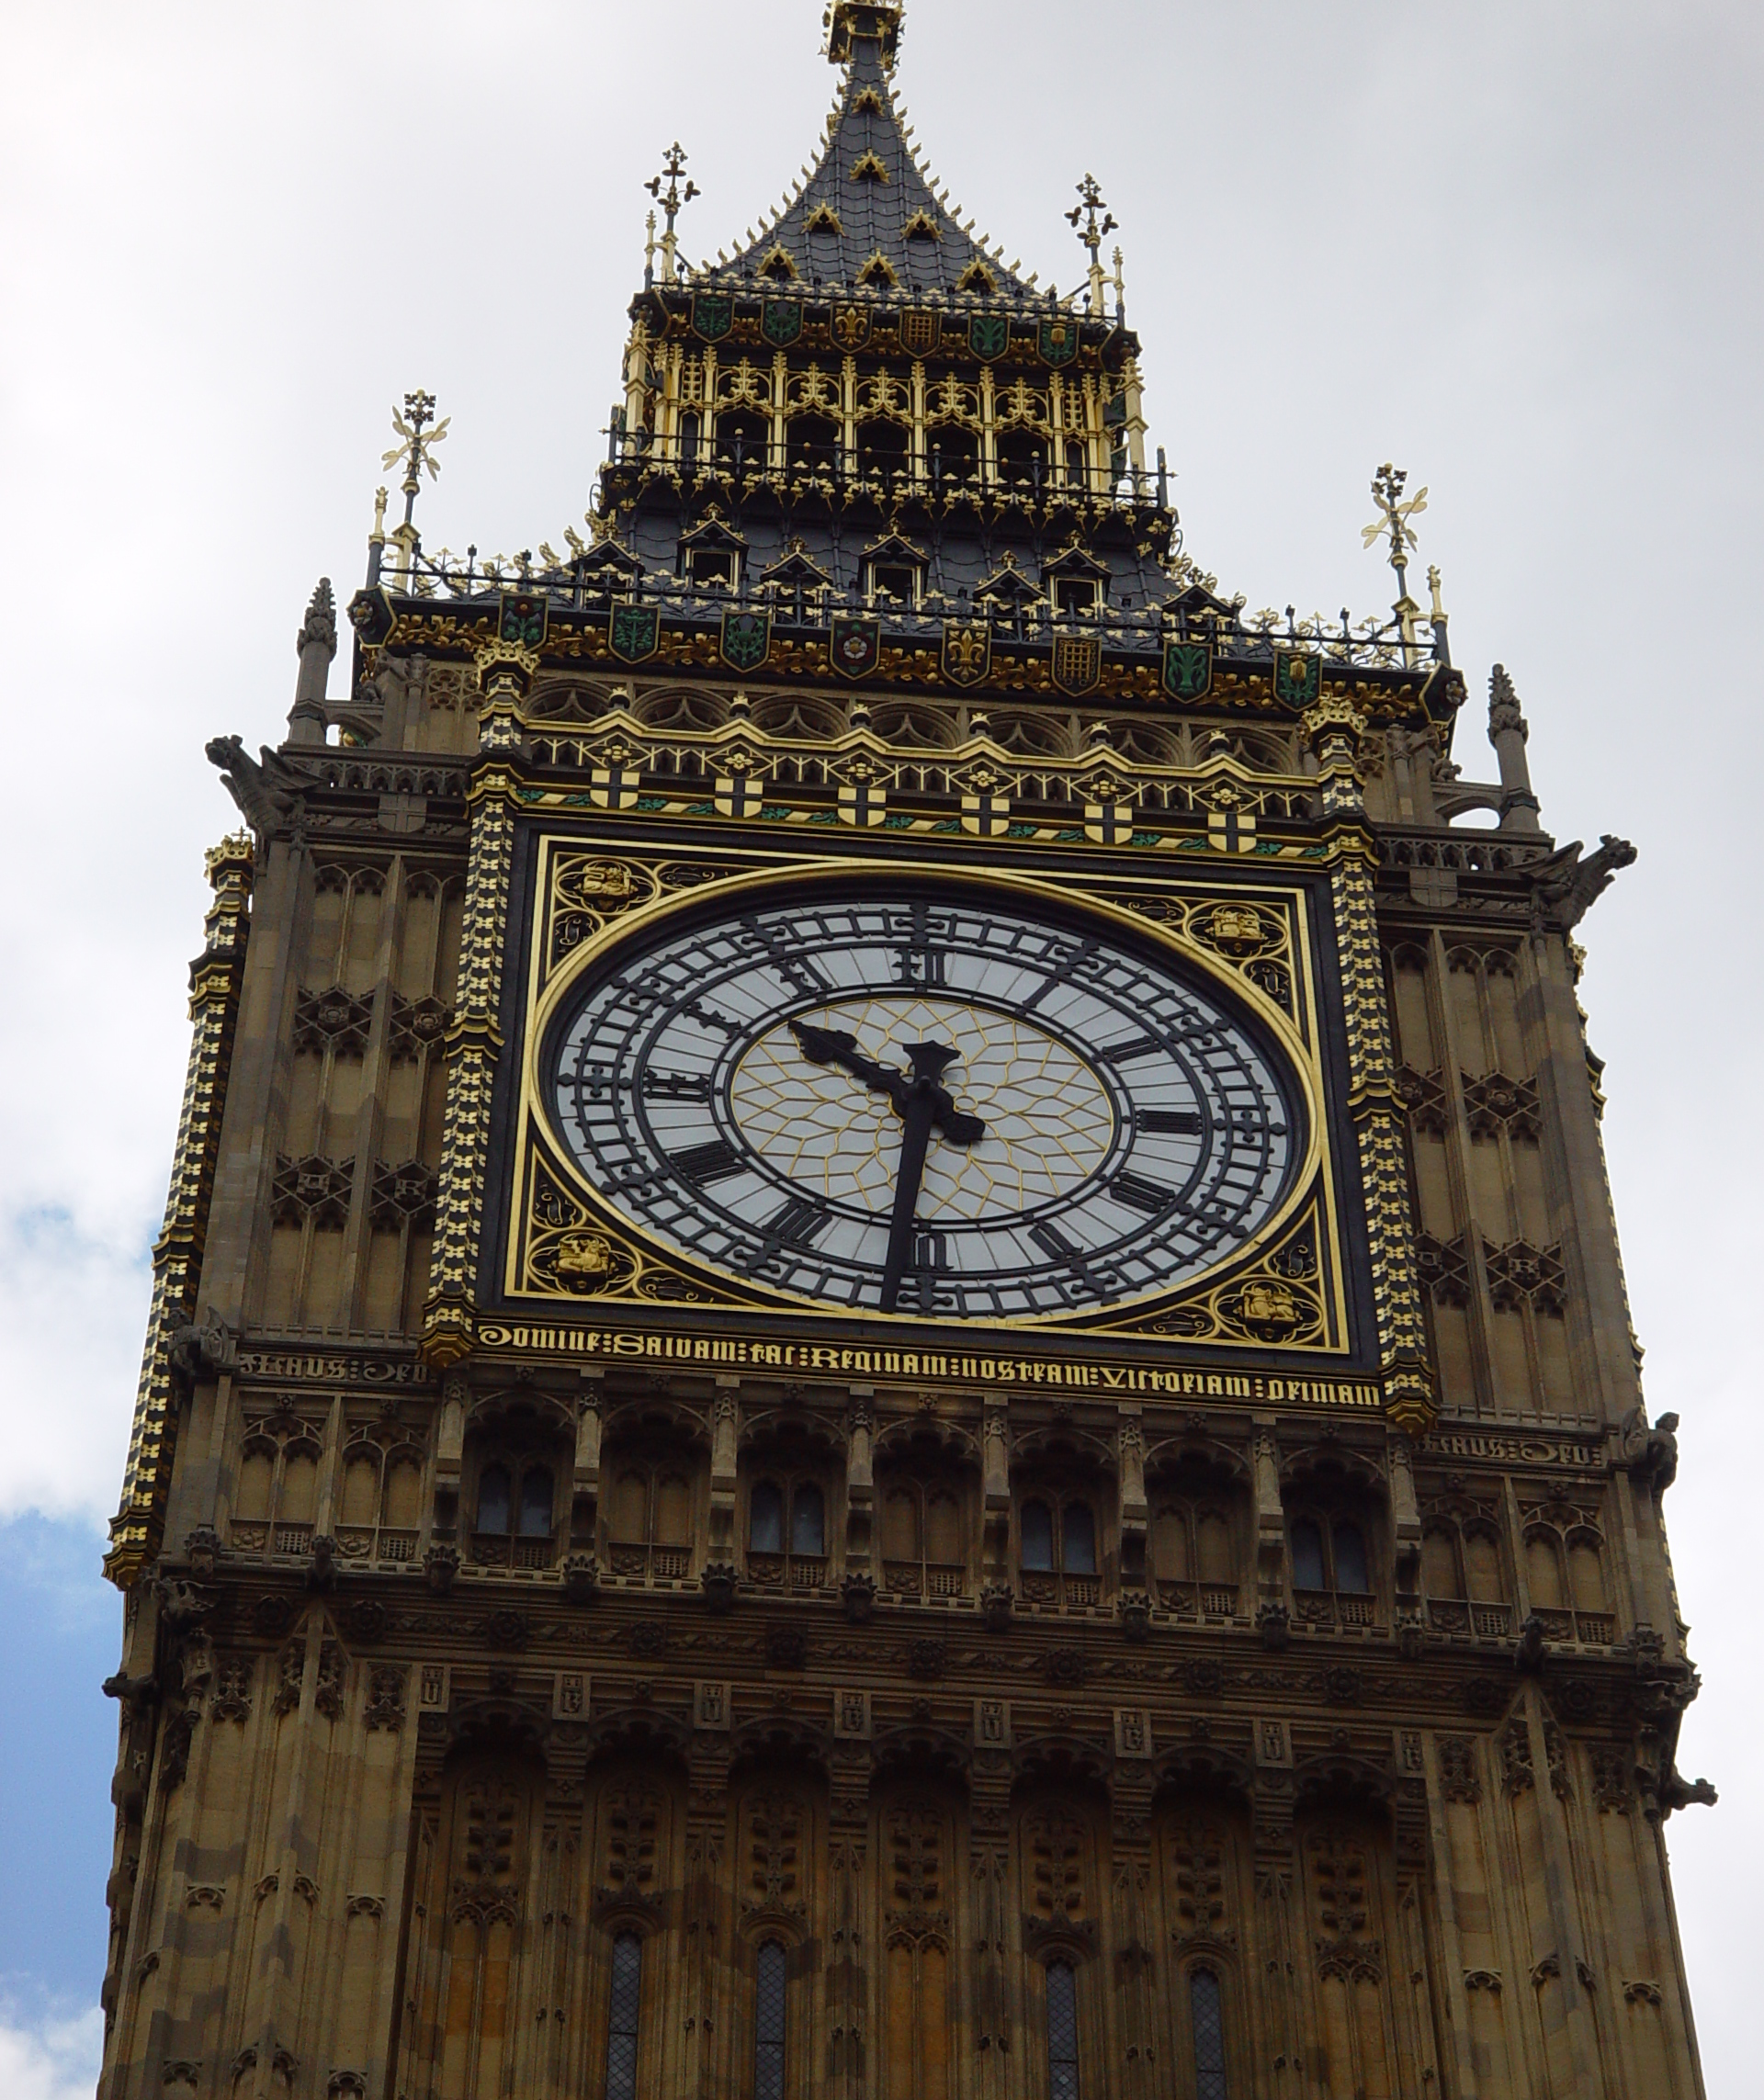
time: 10:31
